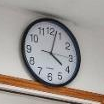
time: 4:02
